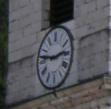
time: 2:46
